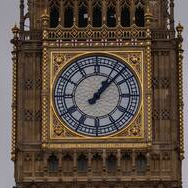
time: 1:07
